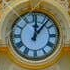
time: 12:06
